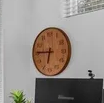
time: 6:45
